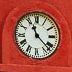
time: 11:22
